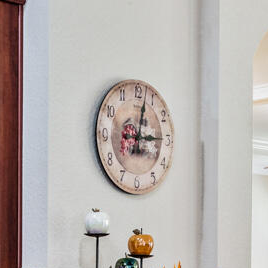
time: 3:02
